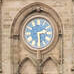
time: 2:29
